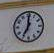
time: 7:00
